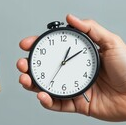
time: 1:09
